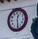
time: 12:28
